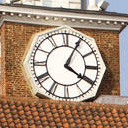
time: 4:04
